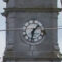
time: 1:32
